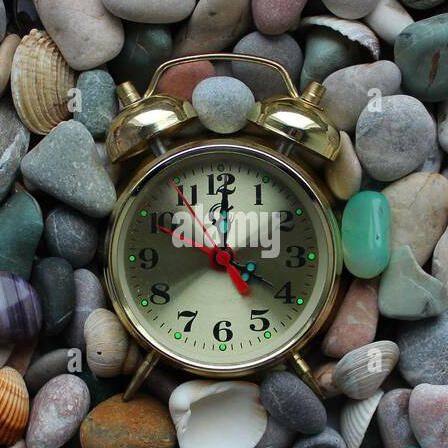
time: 4:00
